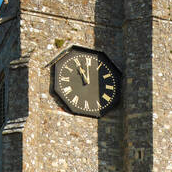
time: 11:00
